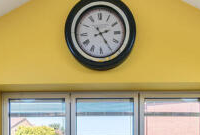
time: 2:24
